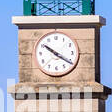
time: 10:20
